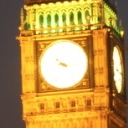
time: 4:16
